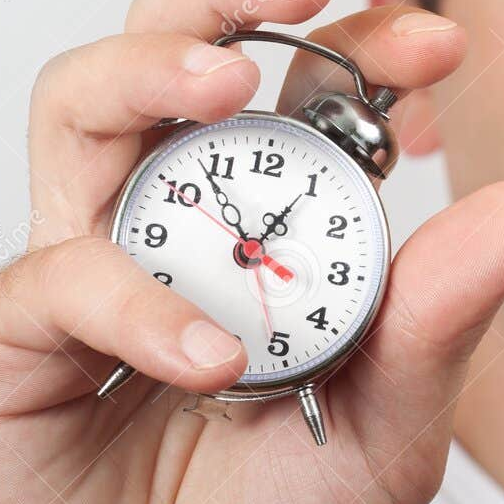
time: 12:53
